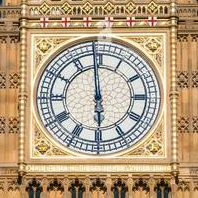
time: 5:58
